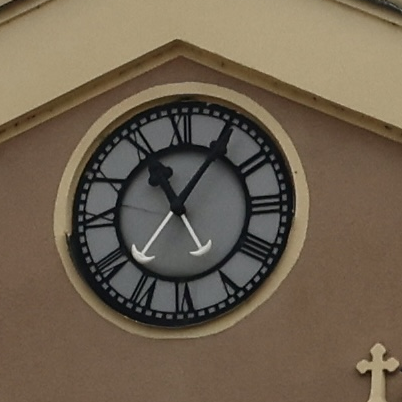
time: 11:05
